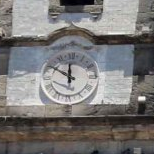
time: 11:50
